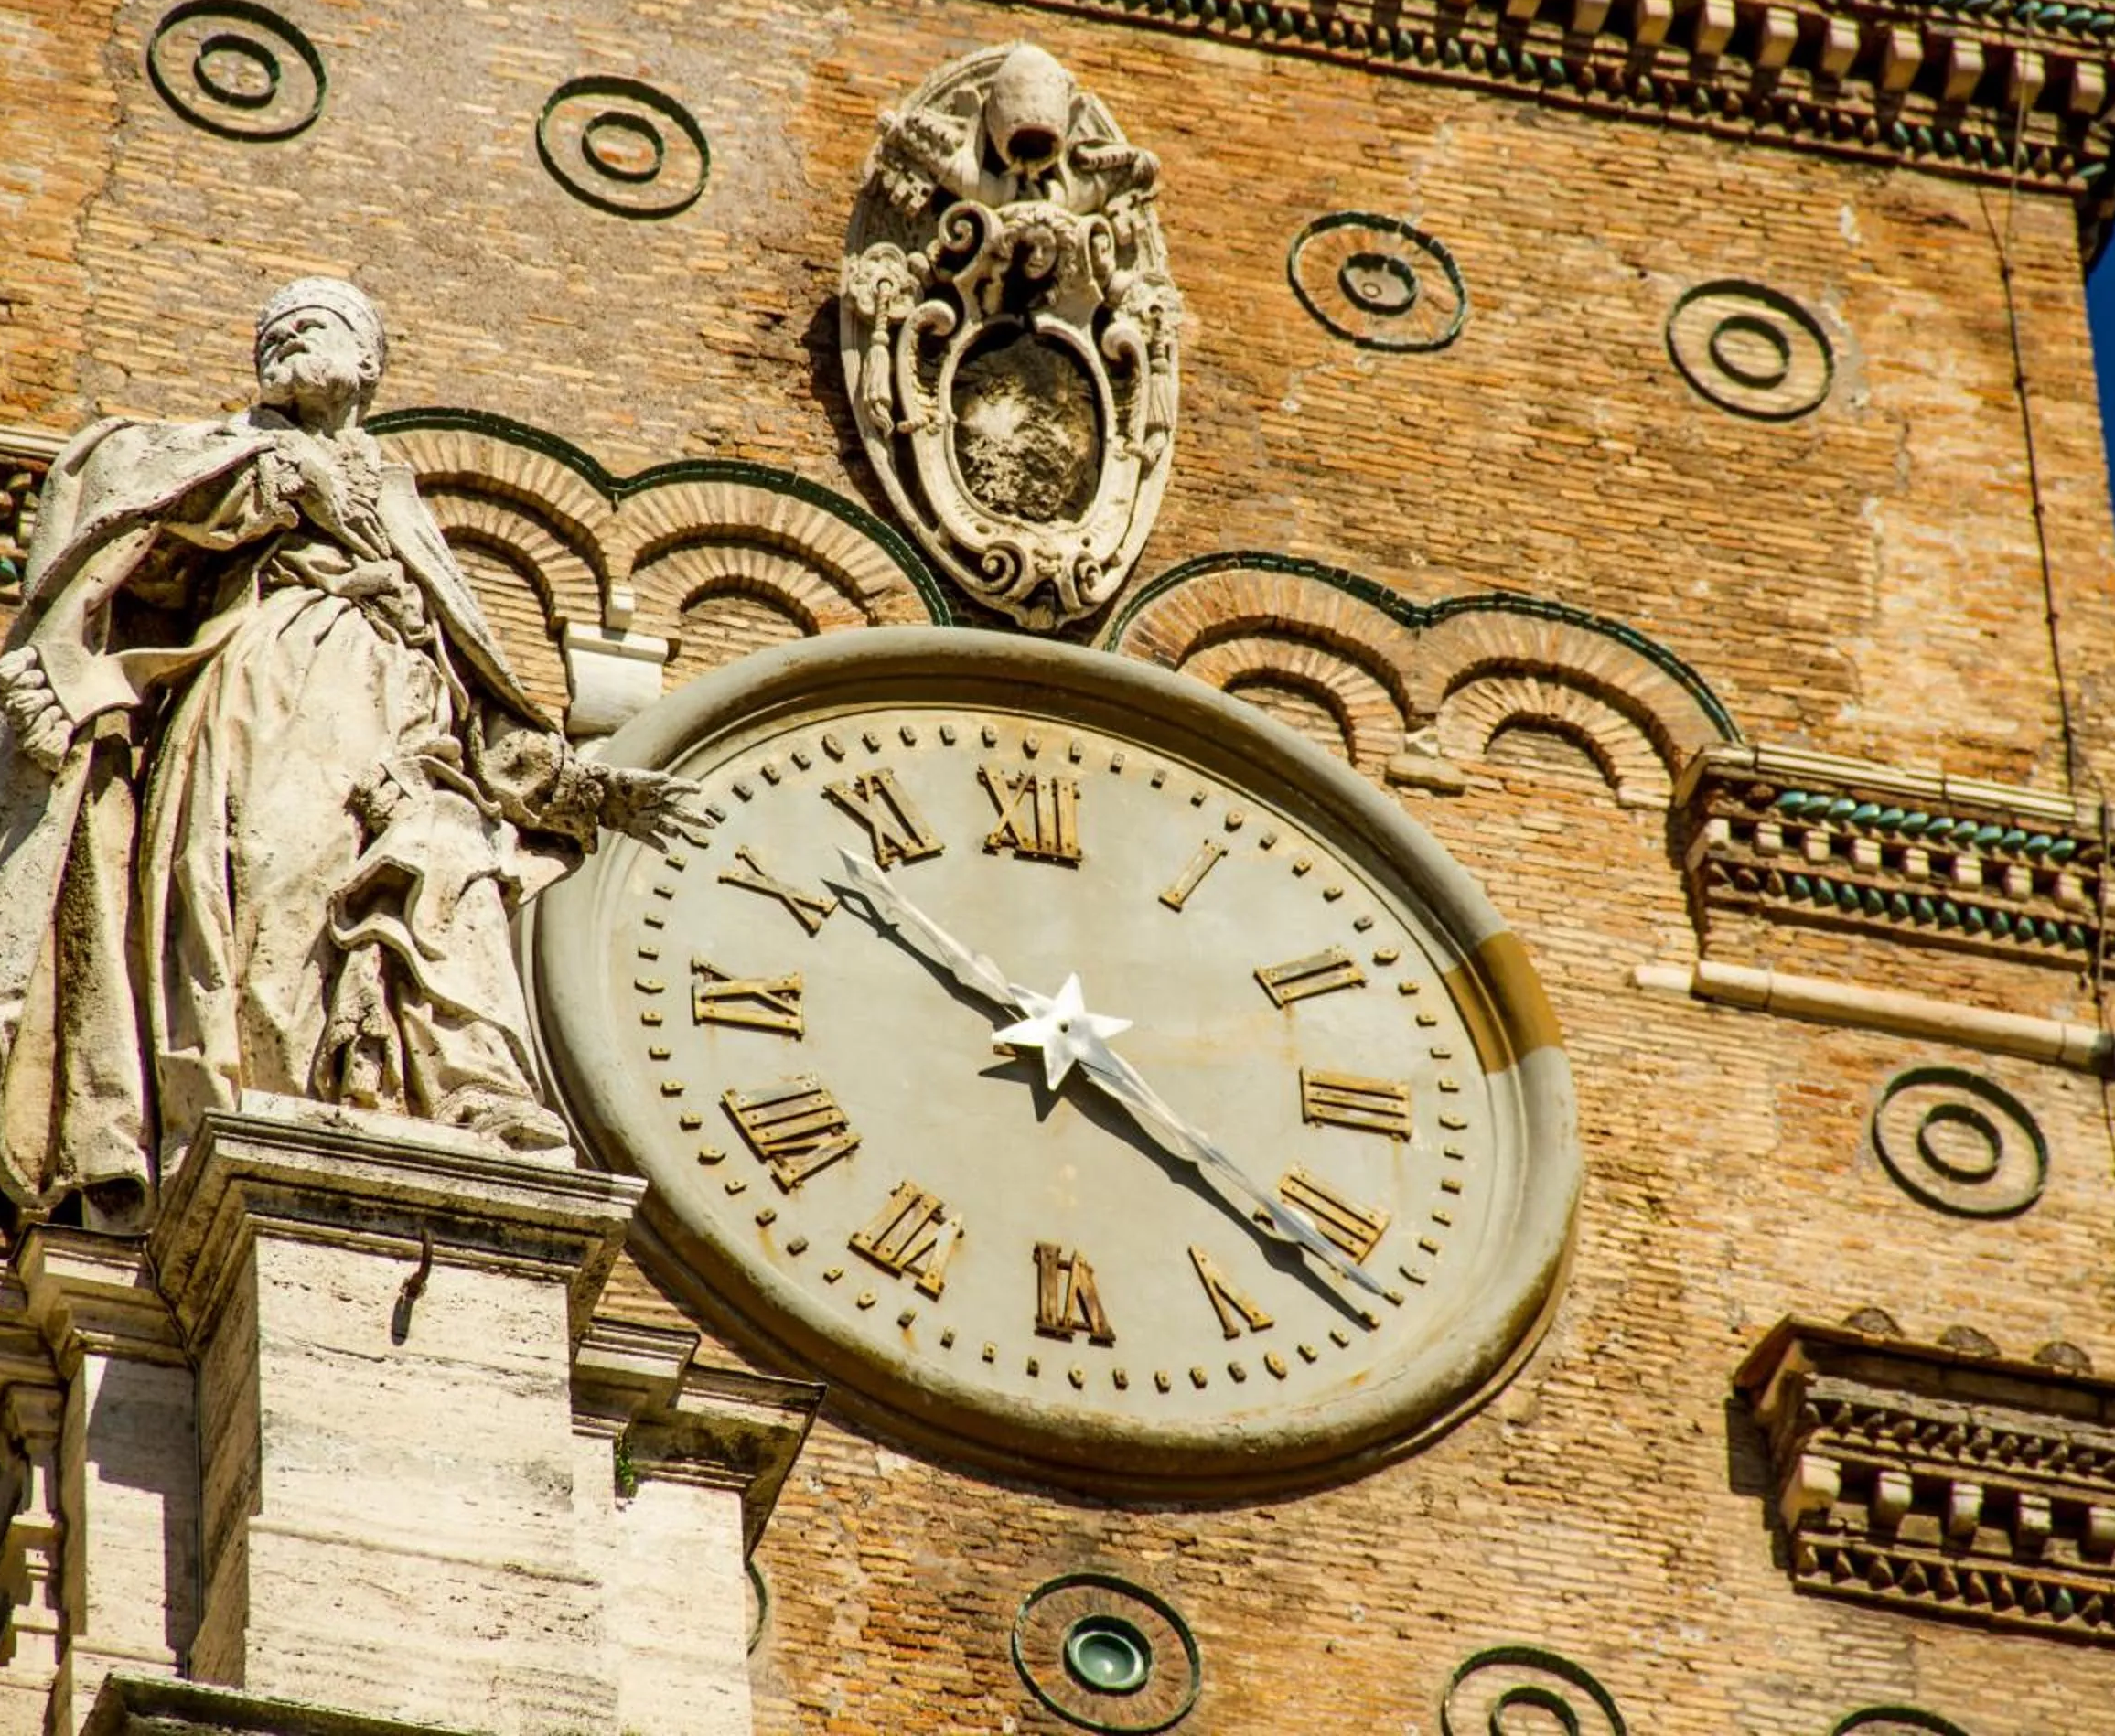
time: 10:21
